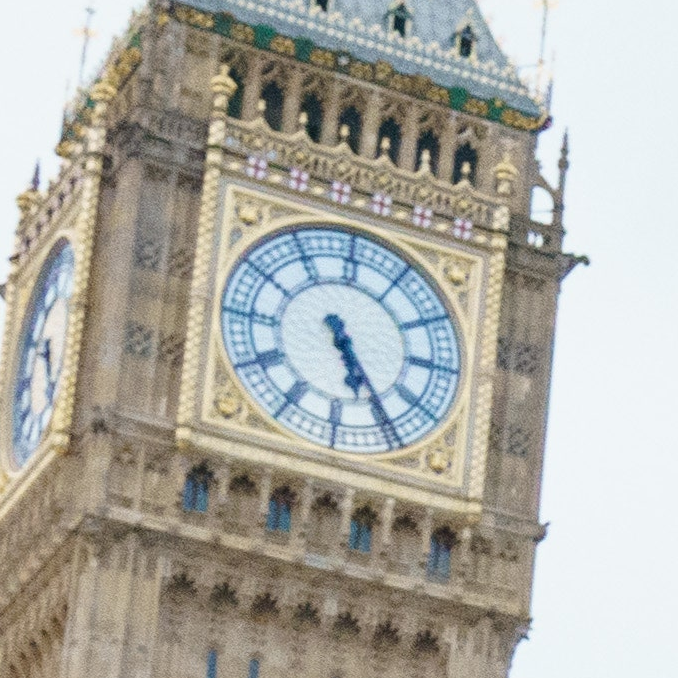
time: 5:24
